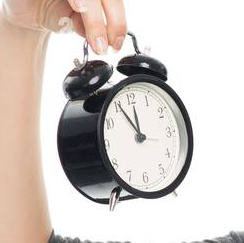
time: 11:54
